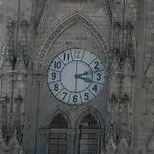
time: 3:12
